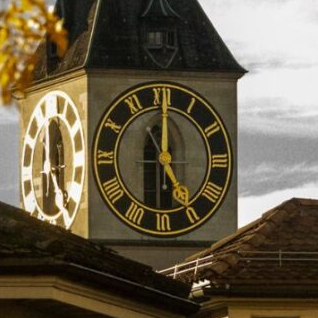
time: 5:00
